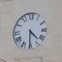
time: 4:30
